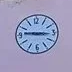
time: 9:15
